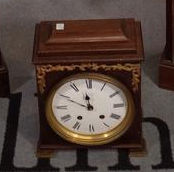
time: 11:49
